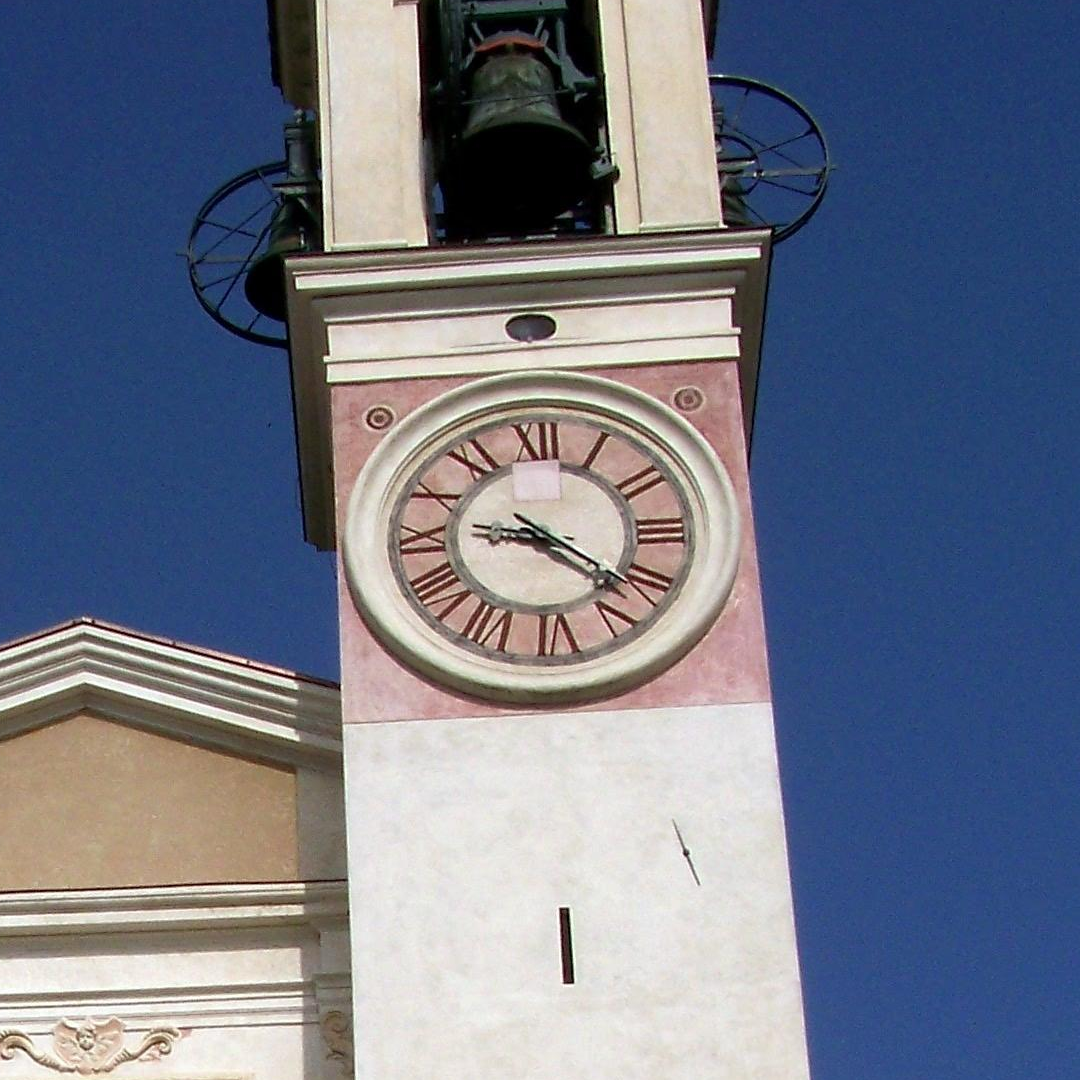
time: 9:22
